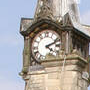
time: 4:11
